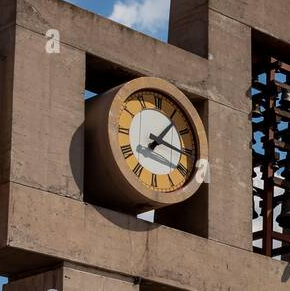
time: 1:16
